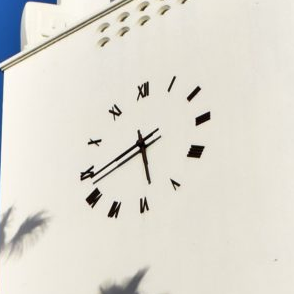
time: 5:42
